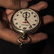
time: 12:23
